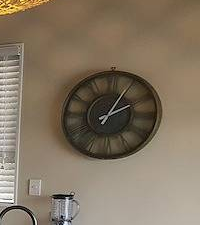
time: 2:04
